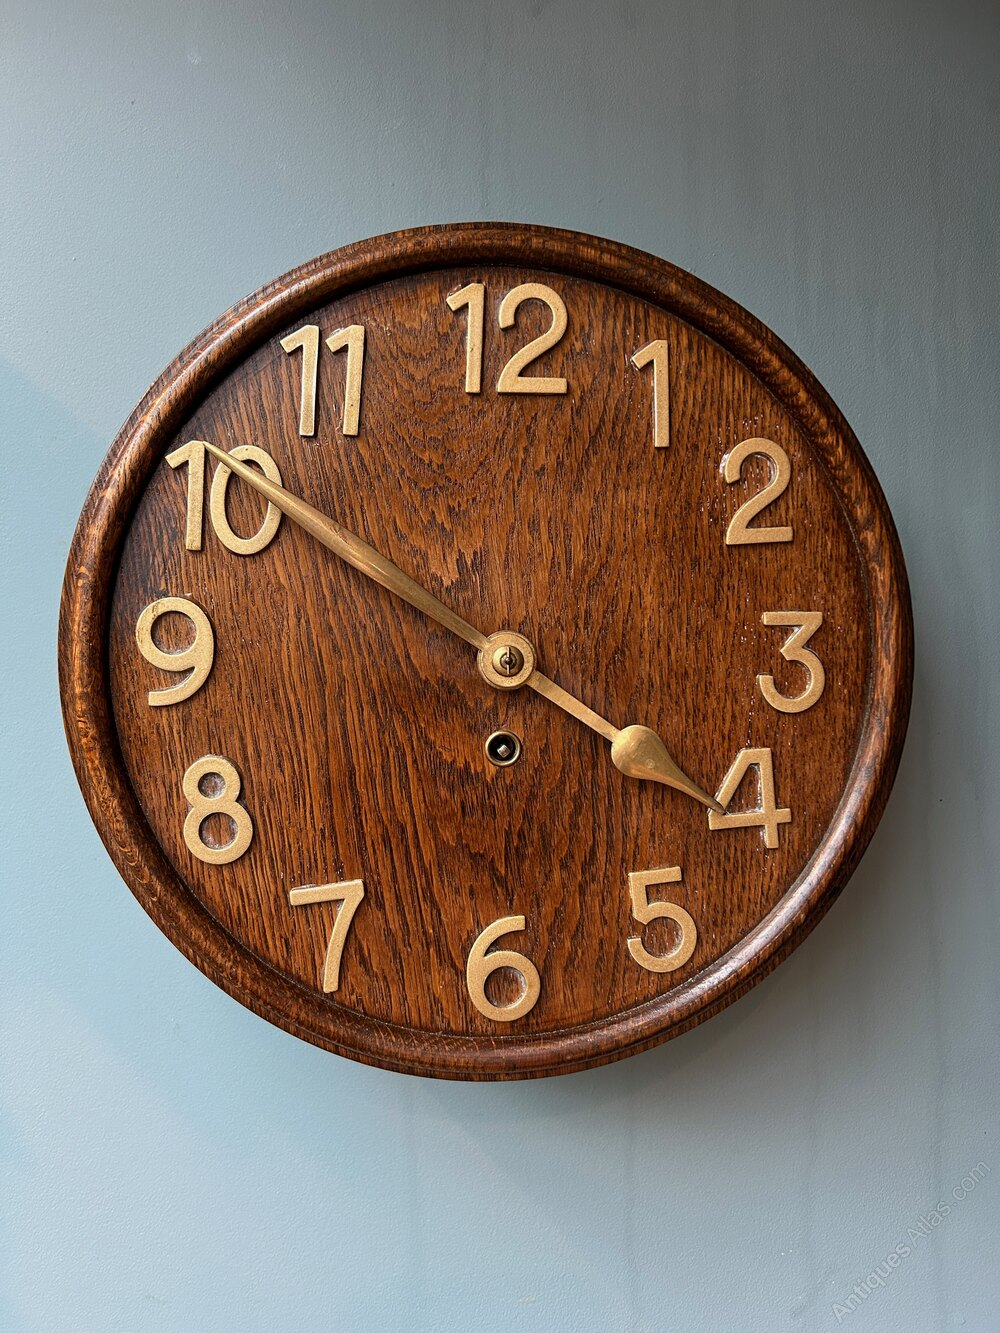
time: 3:51
